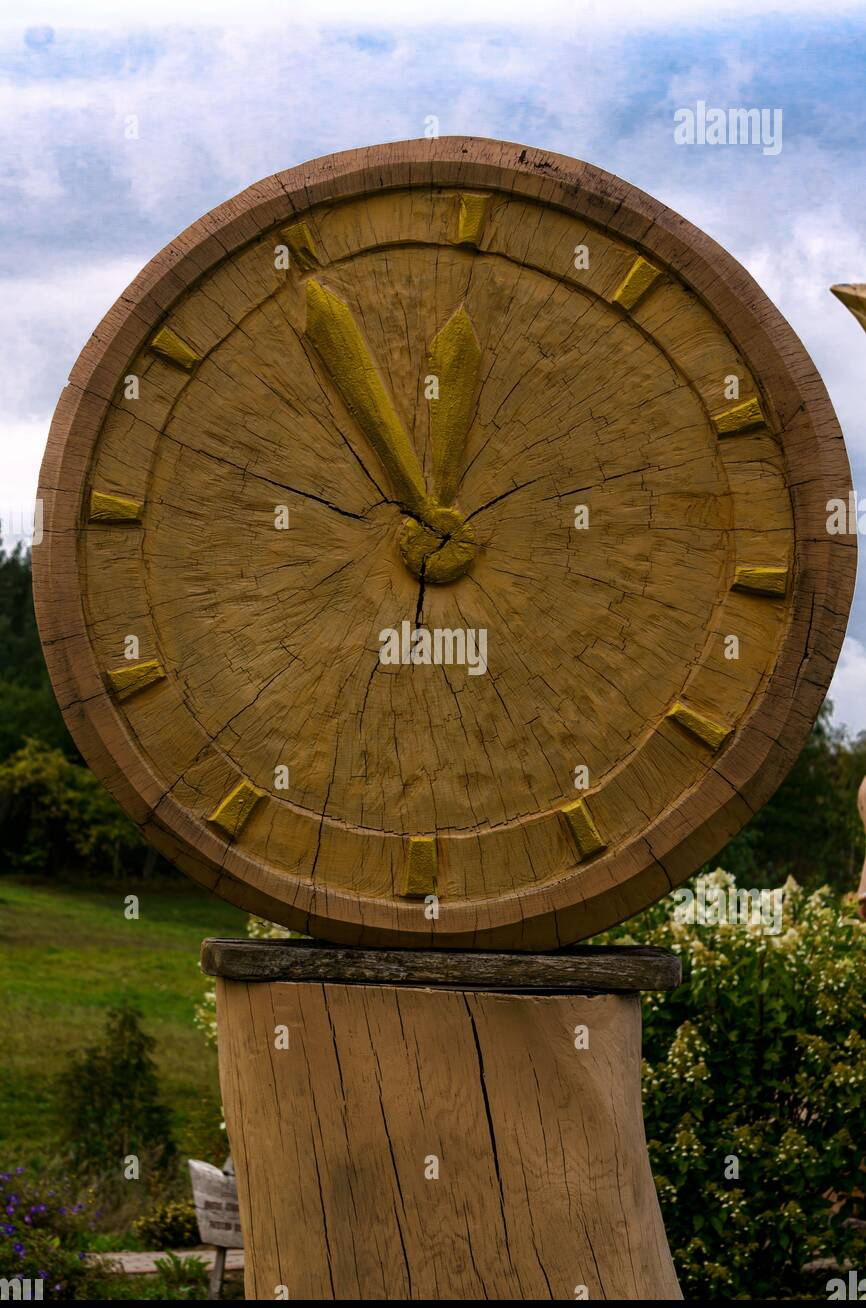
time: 11:01
